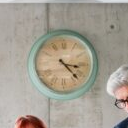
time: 3:22
